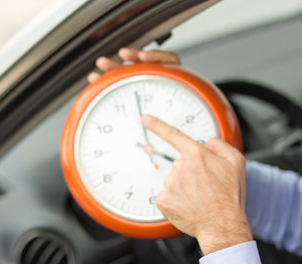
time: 3:58
